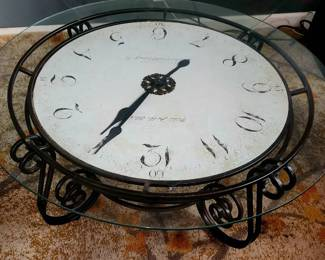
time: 1:34
